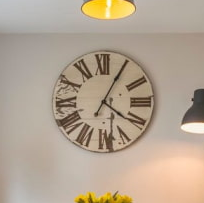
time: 4:04
